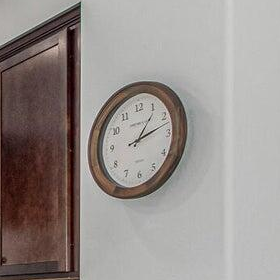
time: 1:12
